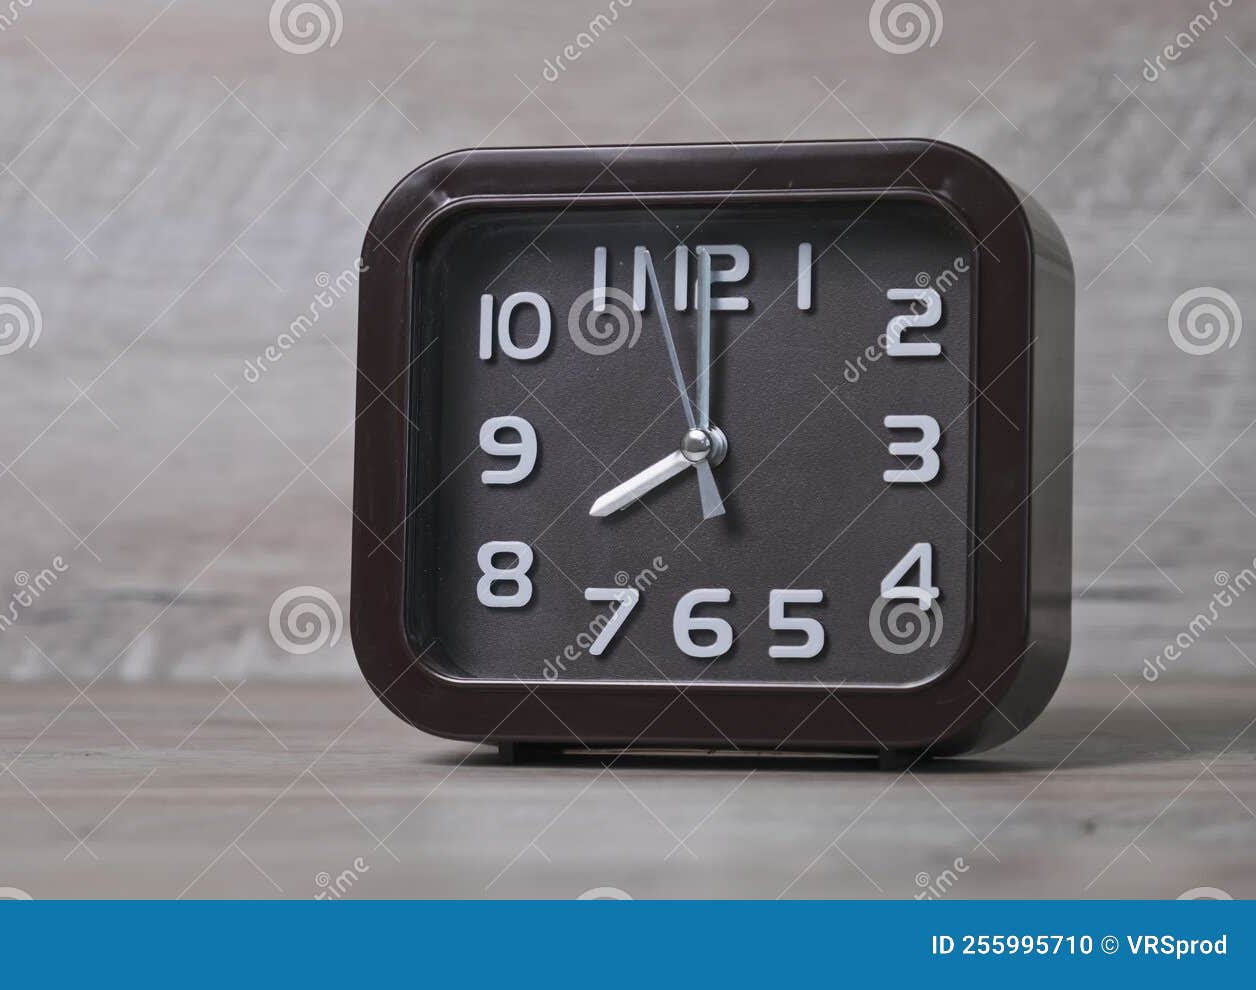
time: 8:00
